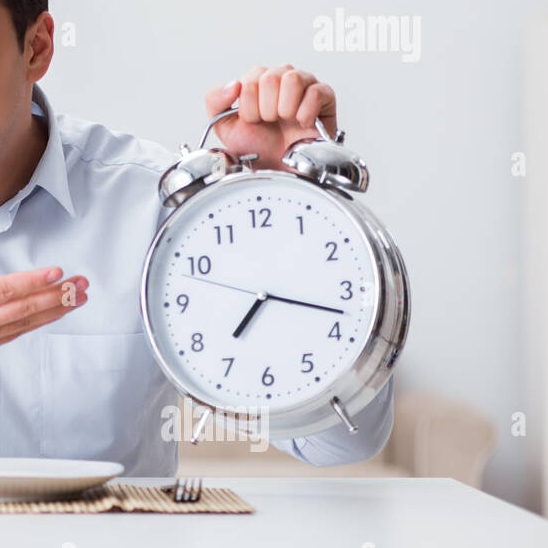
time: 7:17
